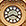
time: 3:40
